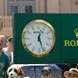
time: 12:26
